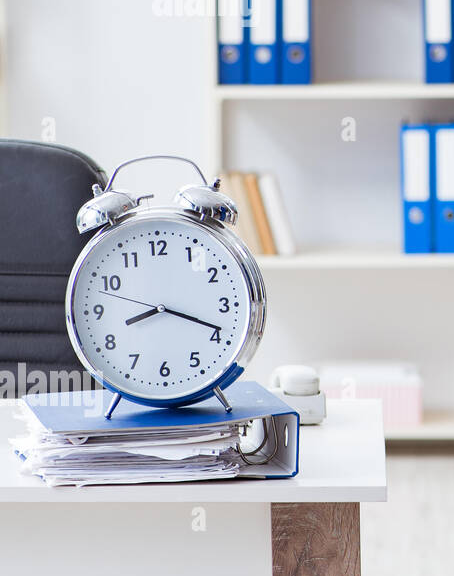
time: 8:18
